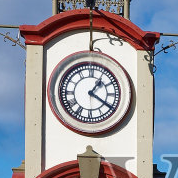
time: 1:20
